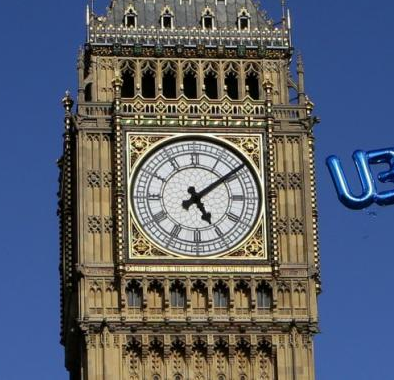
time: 5:08
